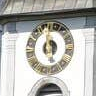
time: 5:59
